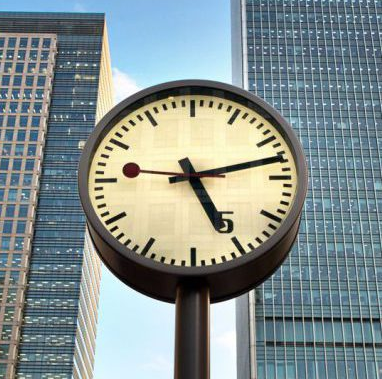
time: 5:12
